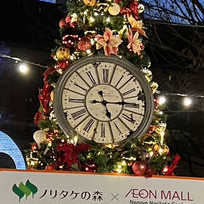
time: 5:14
